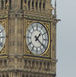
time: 1:20
